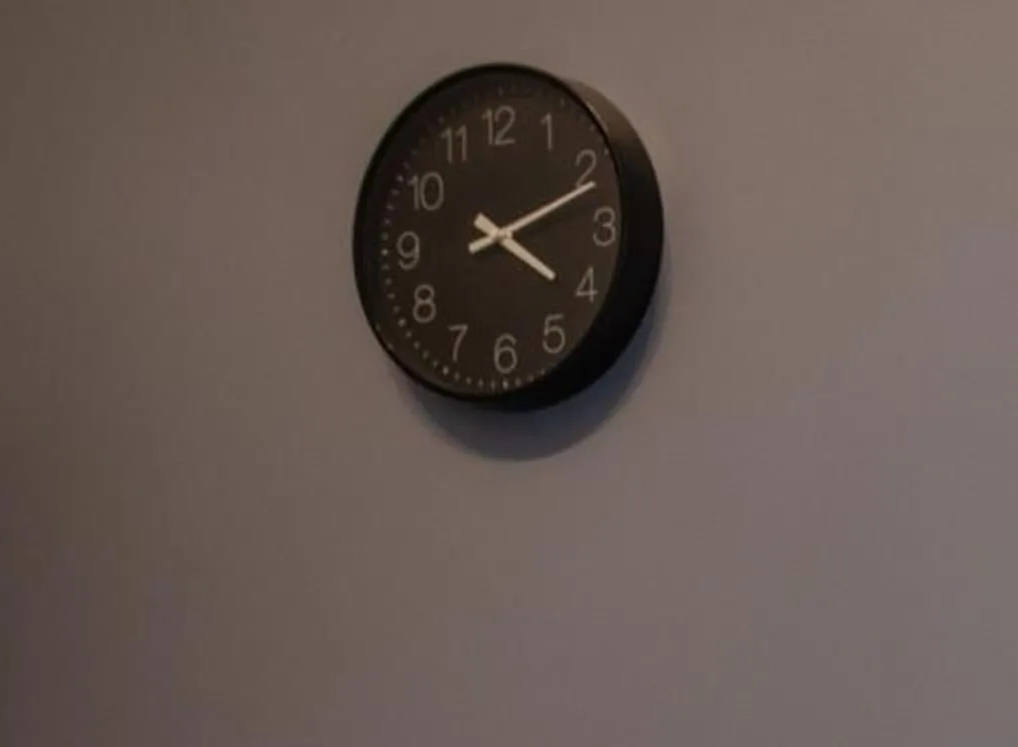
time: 4:11
